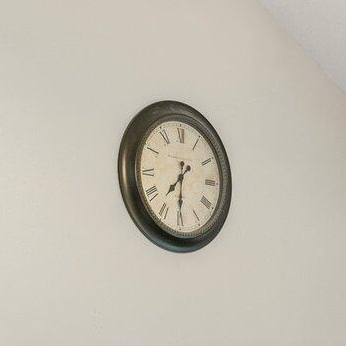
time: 7:29
